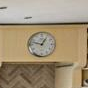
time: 12:47
